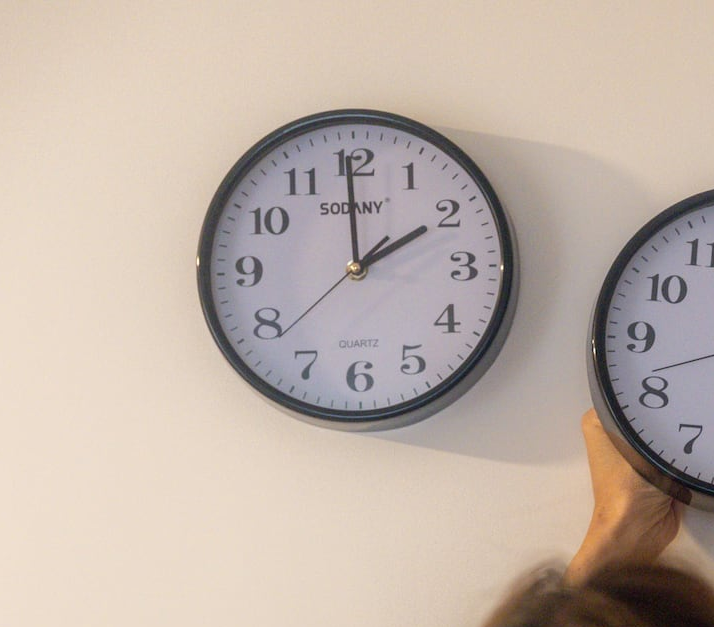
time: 1:59
